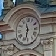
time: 11:32
